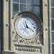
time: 11:19
